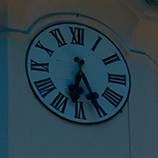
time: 6:25
